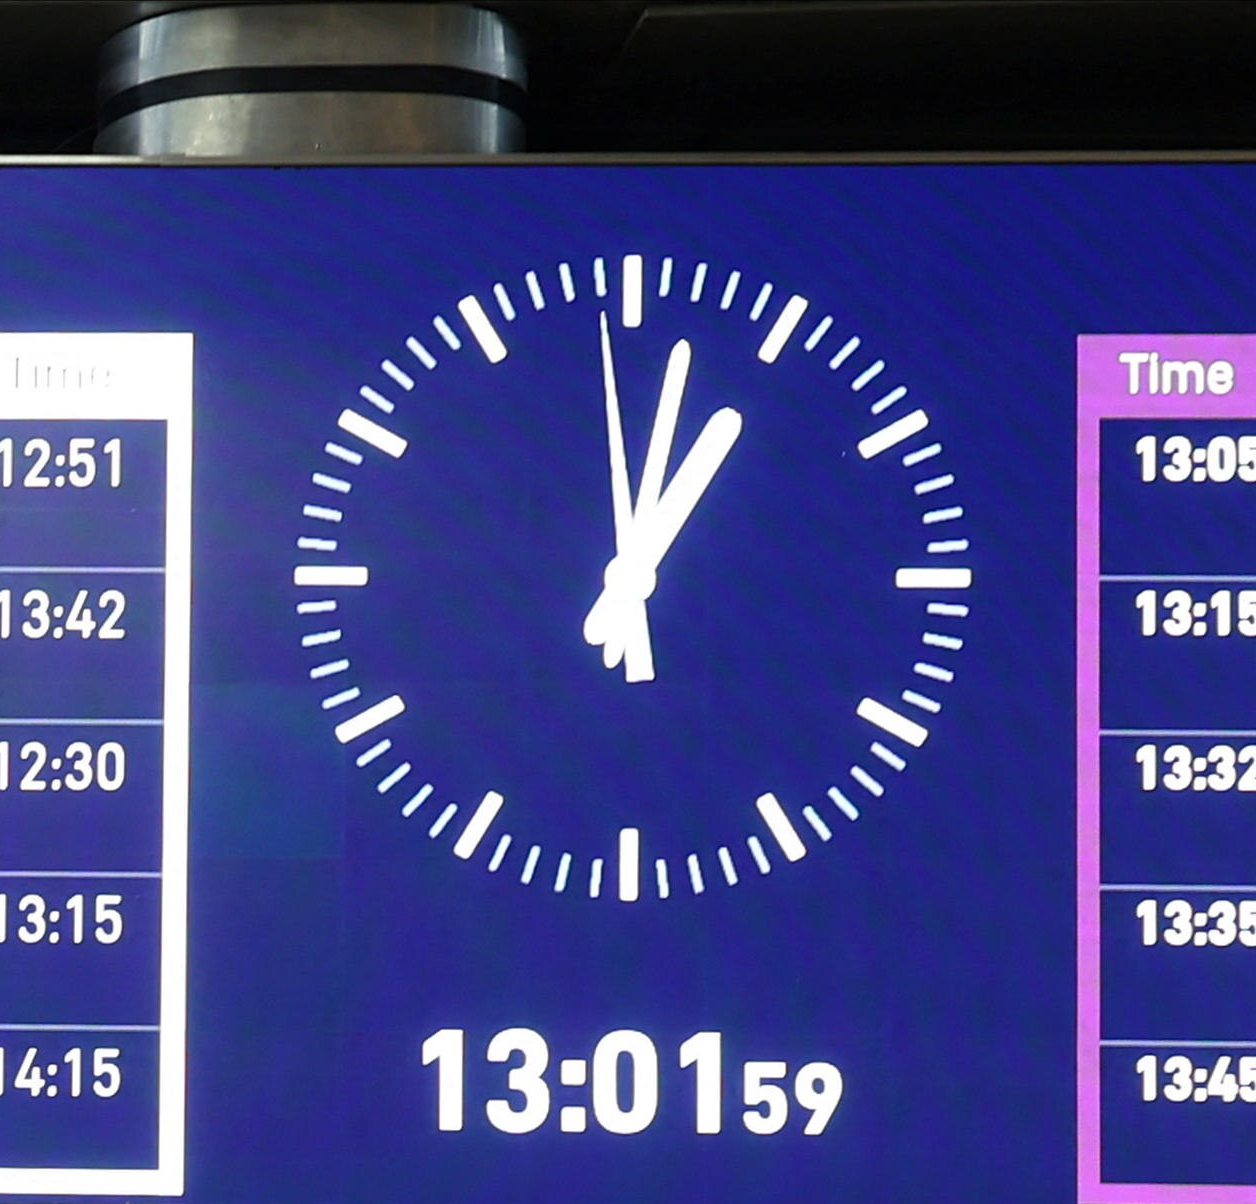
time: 1:01
